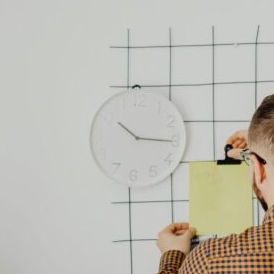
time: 10:15
